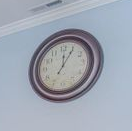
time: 12:05
